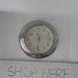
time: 11:31
